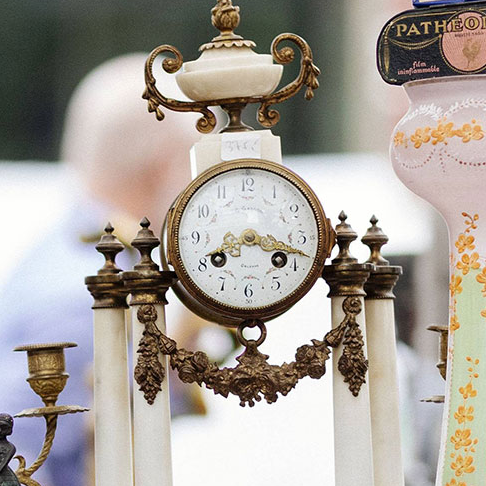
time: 8:17
